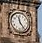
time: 11:23
